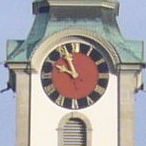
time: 9:55
